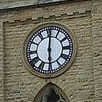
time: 6:00
